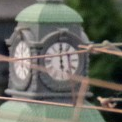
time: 5:59
